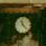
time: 11:22
